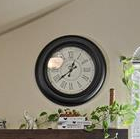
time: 12:38
